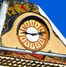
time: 9:12
